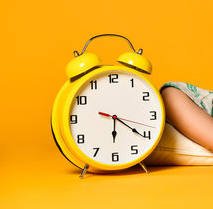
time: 6:20
